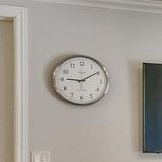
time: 9:10
